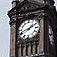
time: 1:41
